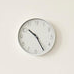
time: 10:25
